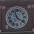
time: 11:21
